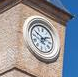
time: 1:50
